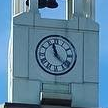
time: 11:22
